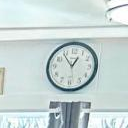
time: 12:54
